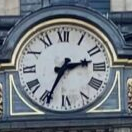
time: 2:34
